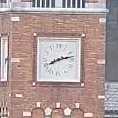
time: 8:12
